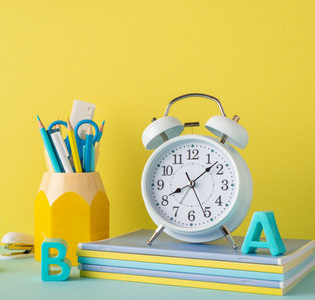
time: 8:07
